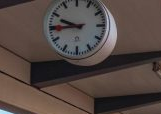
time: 9:44
